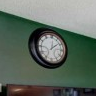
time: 12:08
